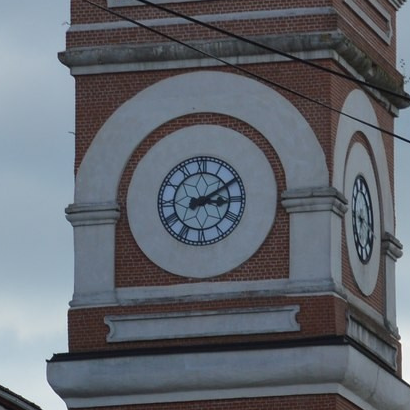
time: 3:10
